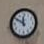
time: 11:50
